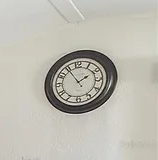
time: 1:54
